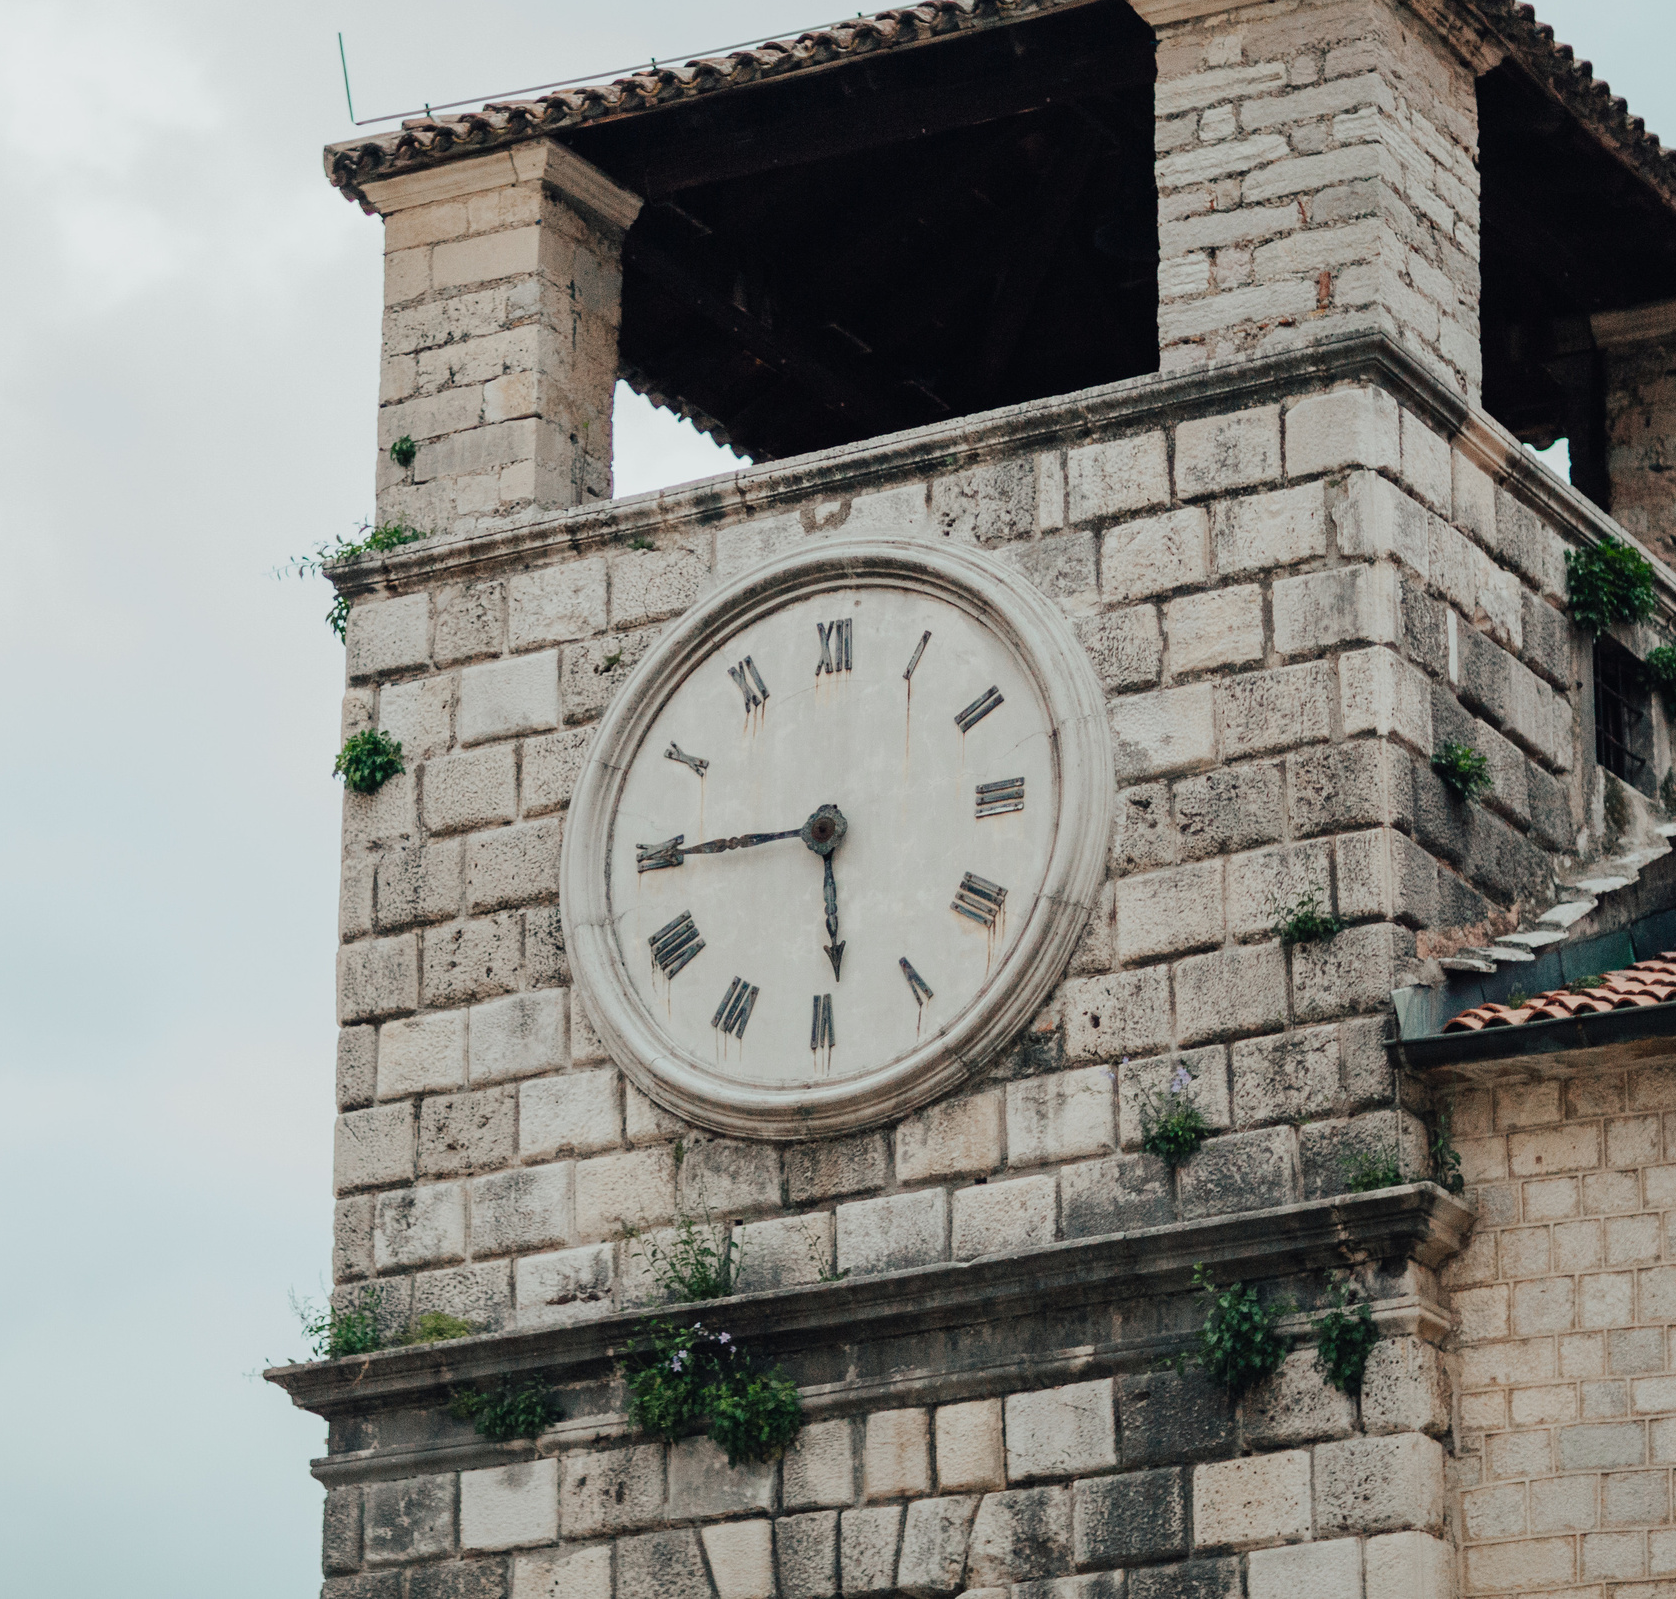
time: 5:44
